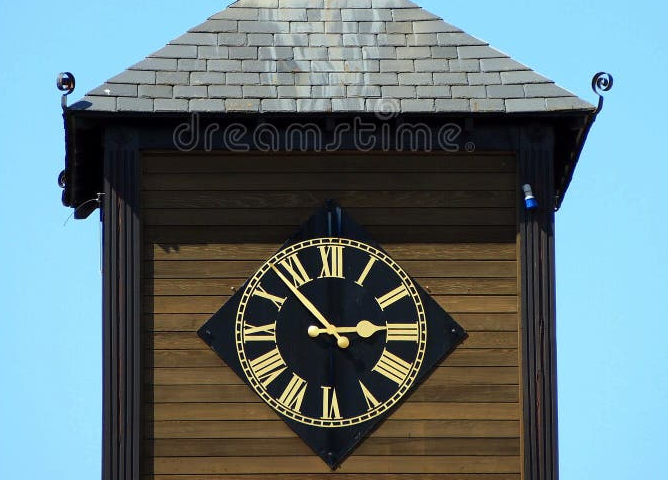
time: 2:53
